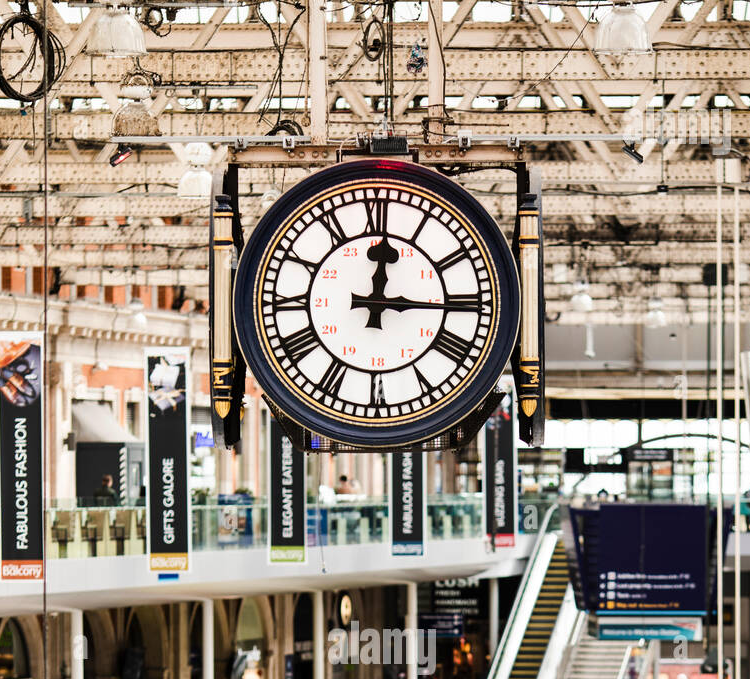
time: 12:14
